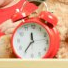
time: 11:35
